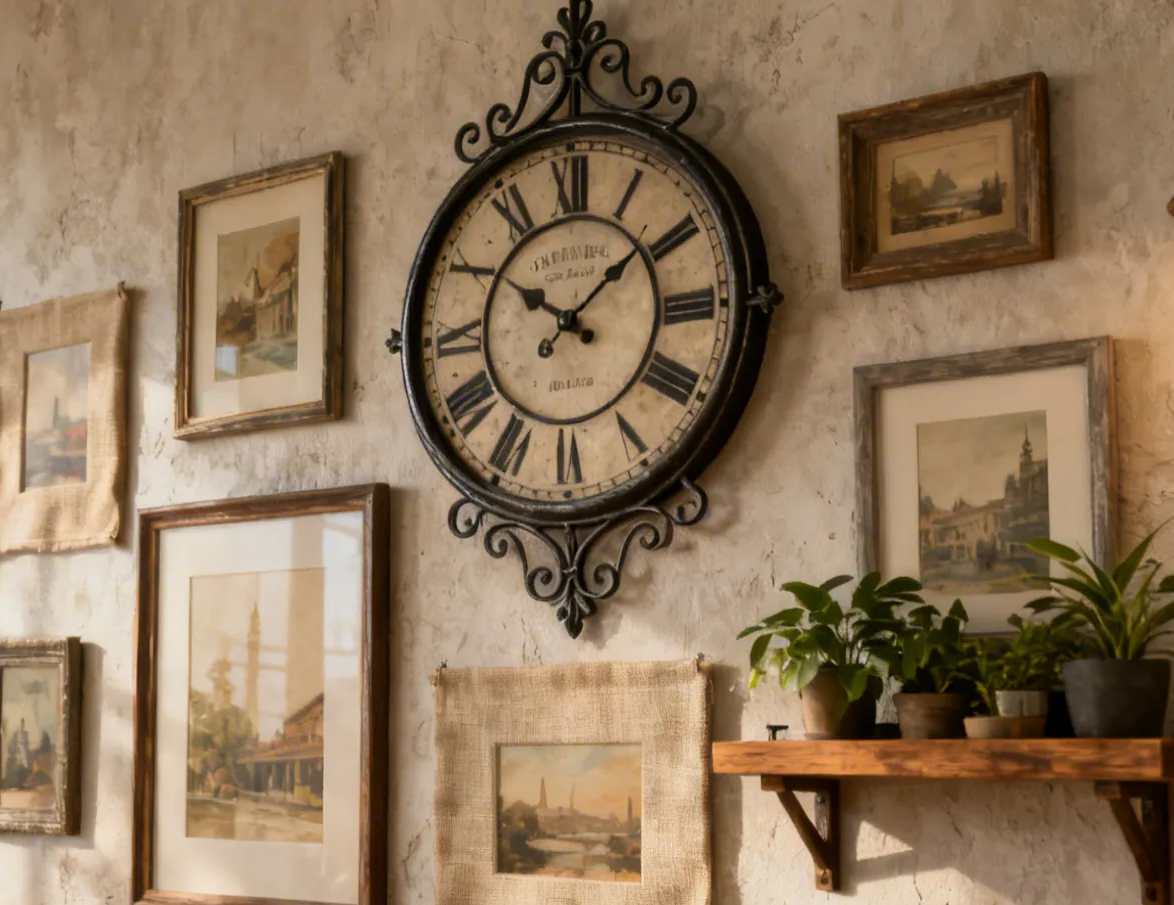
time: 1:50
